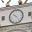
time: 10:24
